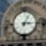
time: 3:04
